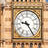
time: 9:24
